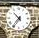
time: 10:36
